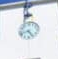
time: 4:42
